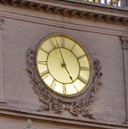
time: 4:57
